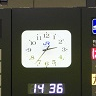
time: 2:36
